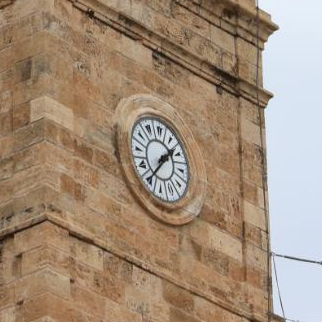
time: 1:36
